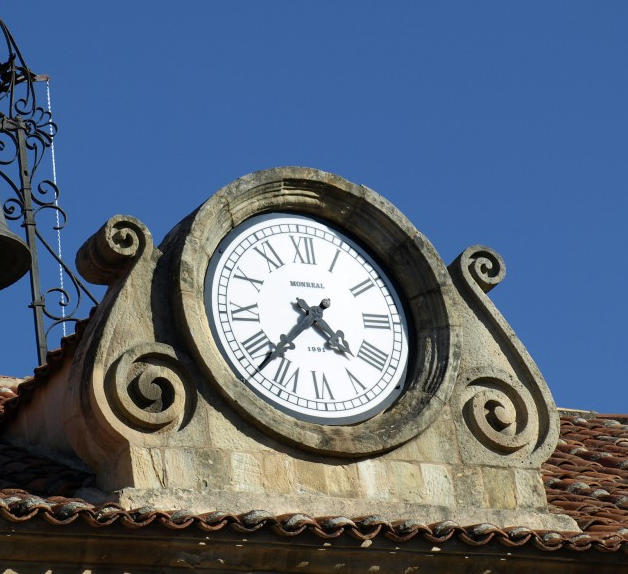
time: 4:37
